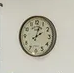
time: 2:02
